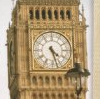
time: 4:27
